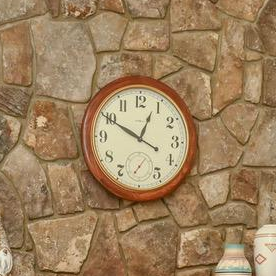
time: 12:49
